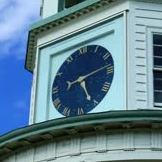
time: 5:13
